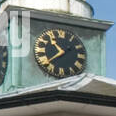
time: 10:38
